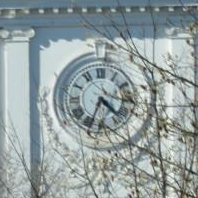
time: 4:34
